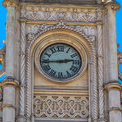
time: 2:44
